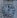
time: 12:07
